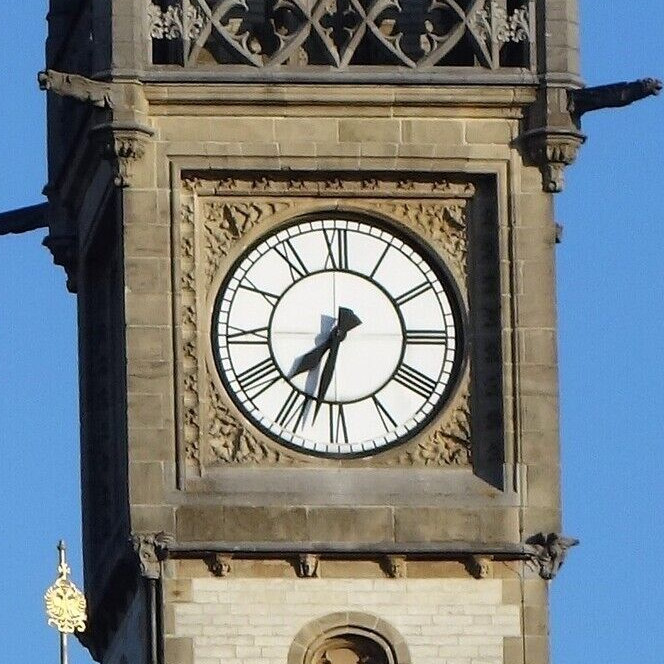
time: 7:32
